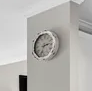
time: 2:33
